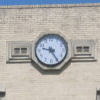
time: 9:25
